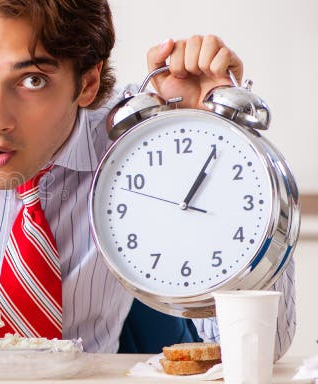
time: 1:05
